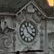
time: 3:56
